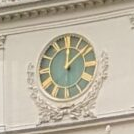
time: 12:07
